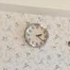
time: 2:21
